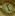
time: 4:57
